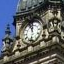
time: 11:32
